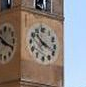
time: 10:18
